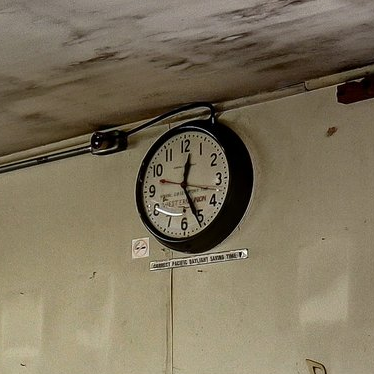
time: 12:25
